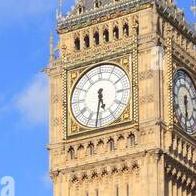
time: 5:31
